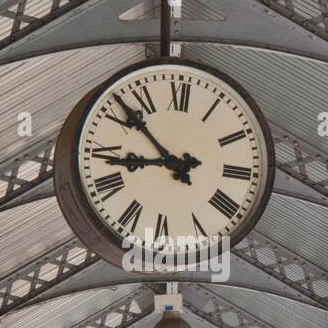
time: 8:52
